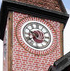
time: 9:38
